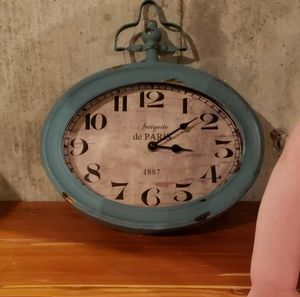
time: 3:08
